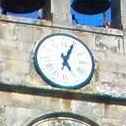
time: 5:04
